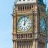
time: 12:05
